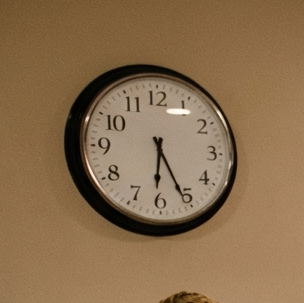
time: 6:25
